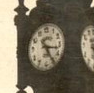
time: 3:24
